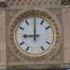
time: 9:00
